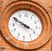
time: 3:49
